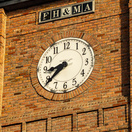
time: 8:38
